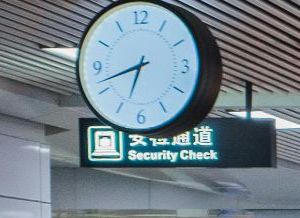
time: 6:42
